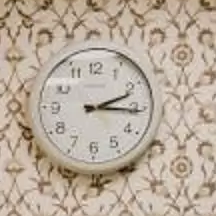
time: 2:15
